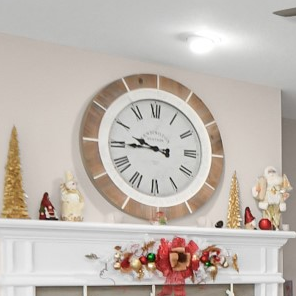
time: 9:45
